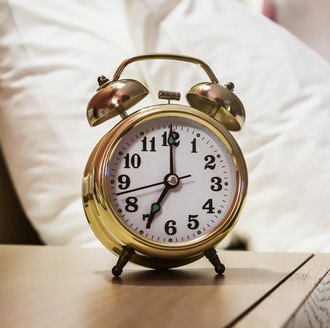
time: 7:00
